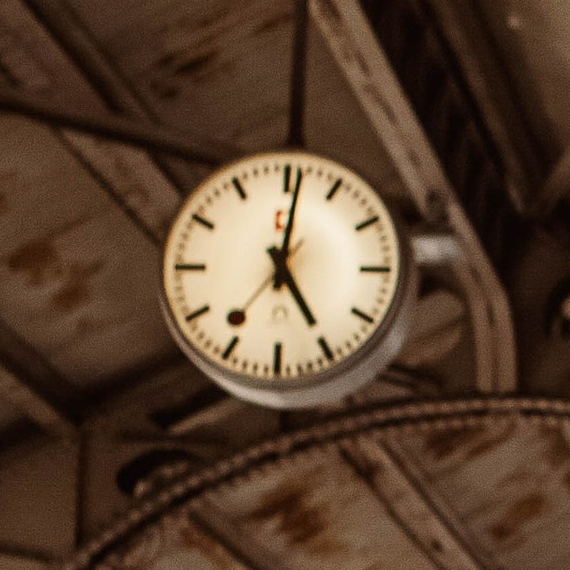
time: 5:01
